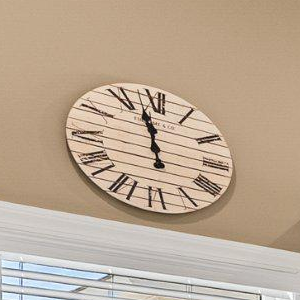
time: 11:57
